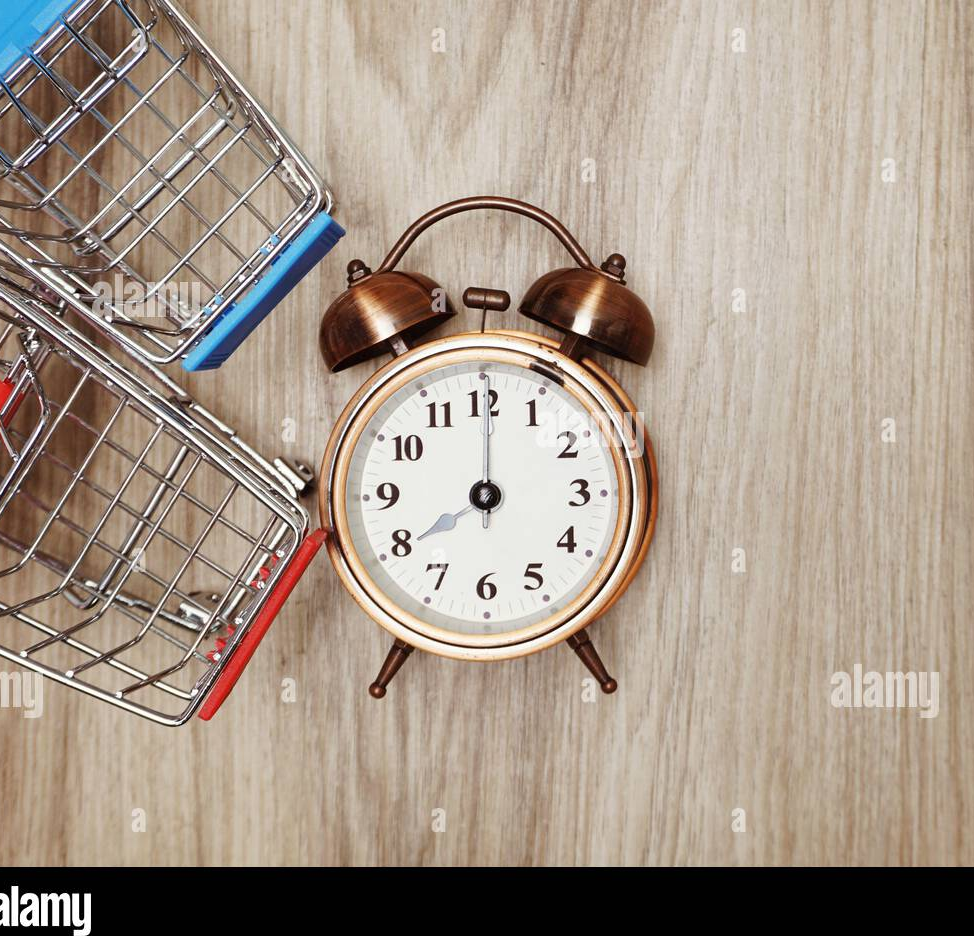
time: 8:00
